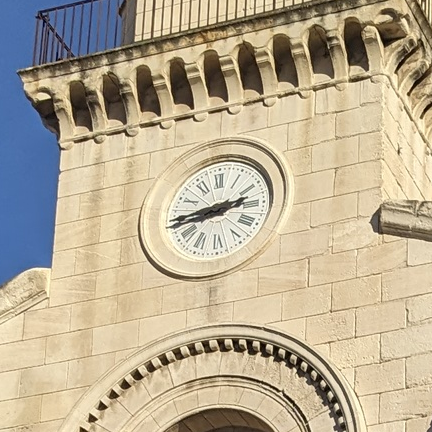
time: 2:44
